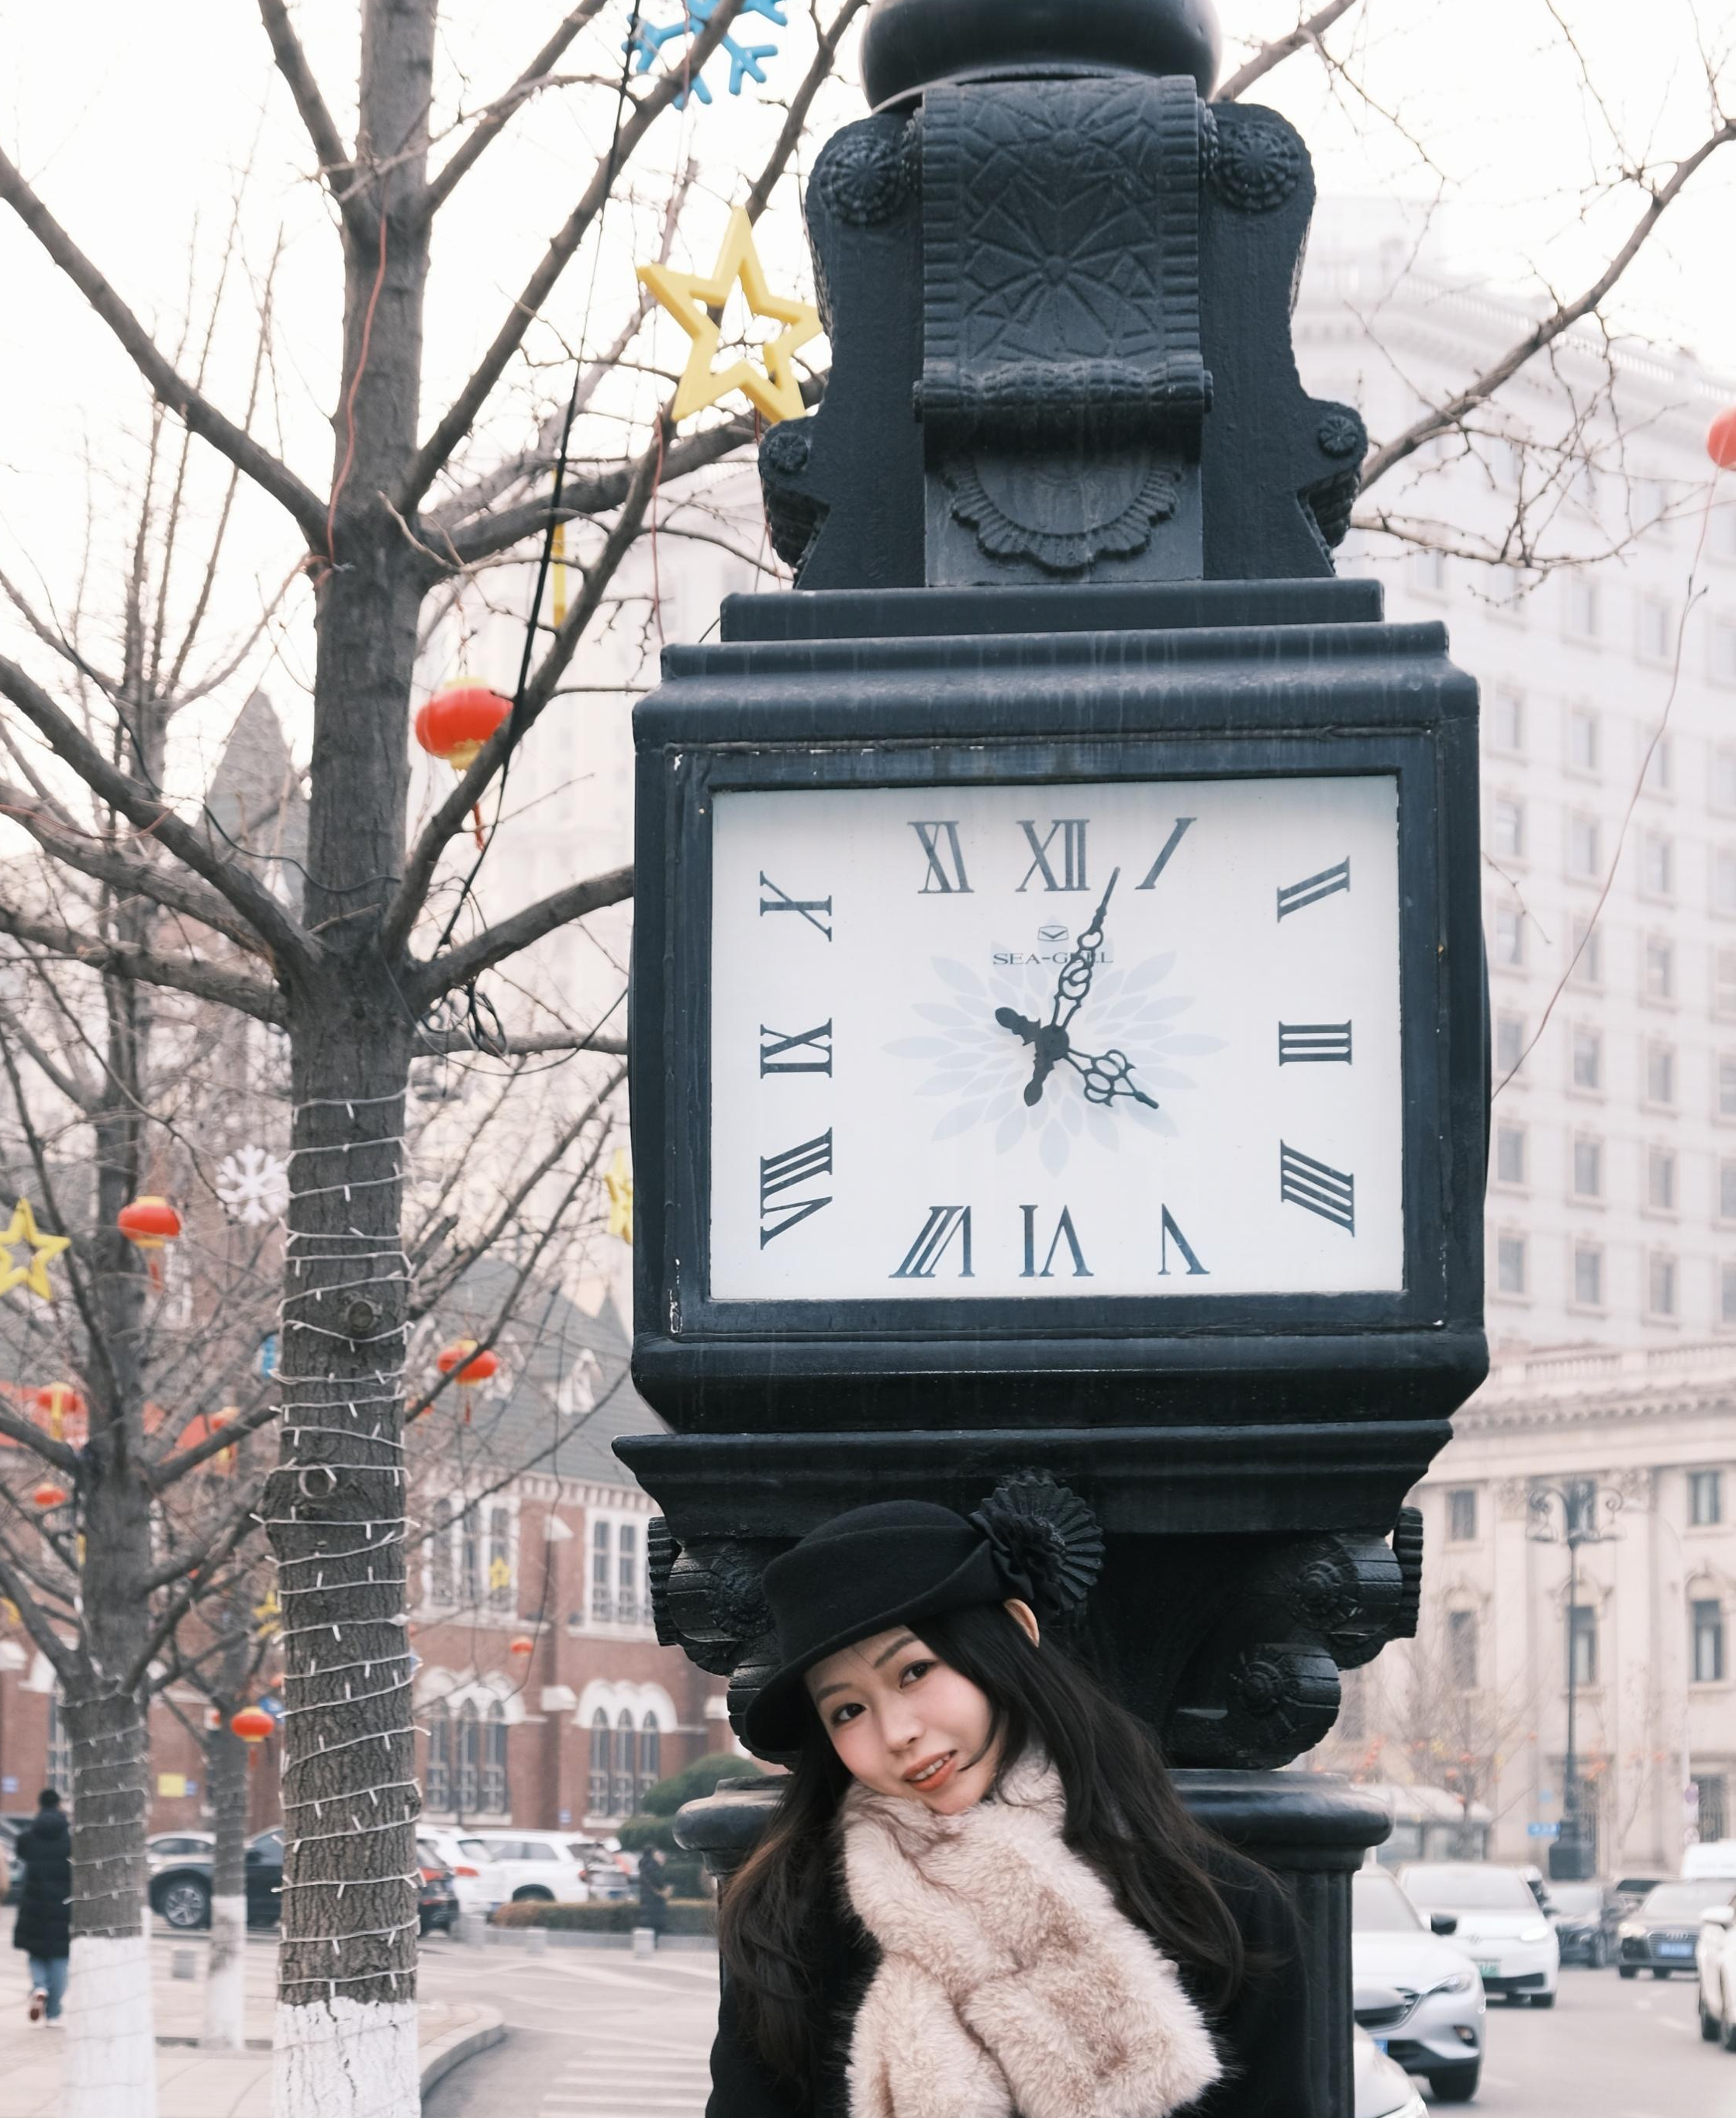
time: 4:03
